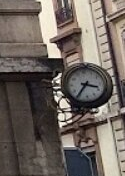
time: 3:35
